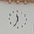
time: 11:34
